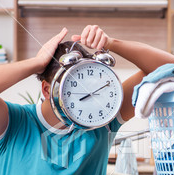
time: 8:10
